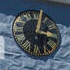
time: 3:02
